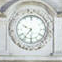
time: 9:36
